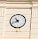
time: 10:42
